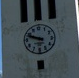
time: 9:48
